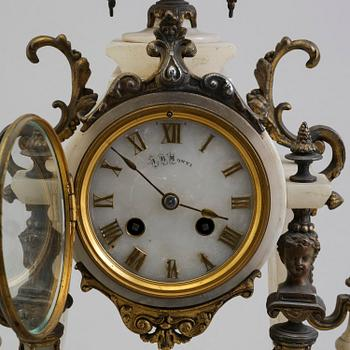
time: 3:52
